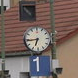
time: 6:43
